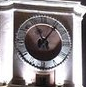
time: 11:06
